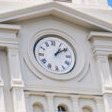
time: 1:09
